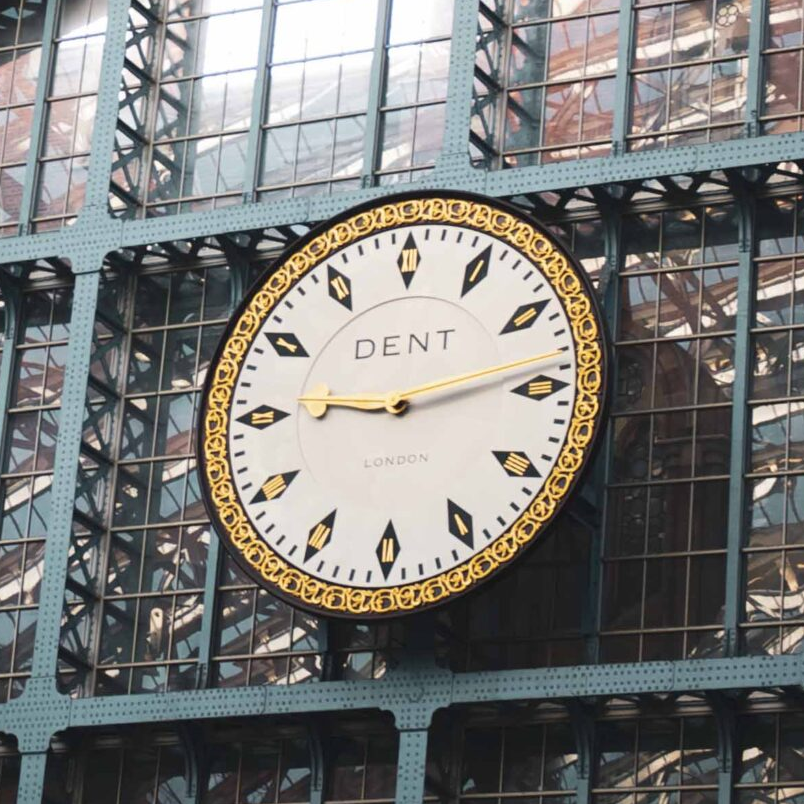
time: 9:13
